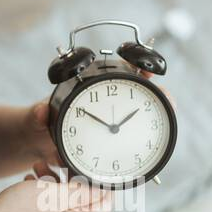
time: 1:50
